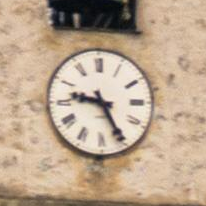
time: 9:25
